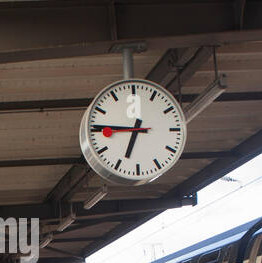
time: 6:45
